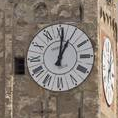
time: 1:01
